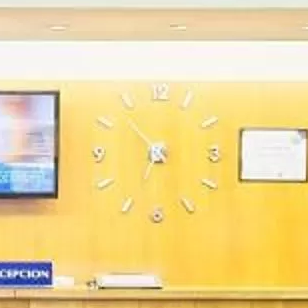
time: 6:53
